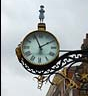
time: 1:56
